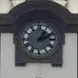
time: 1:11
